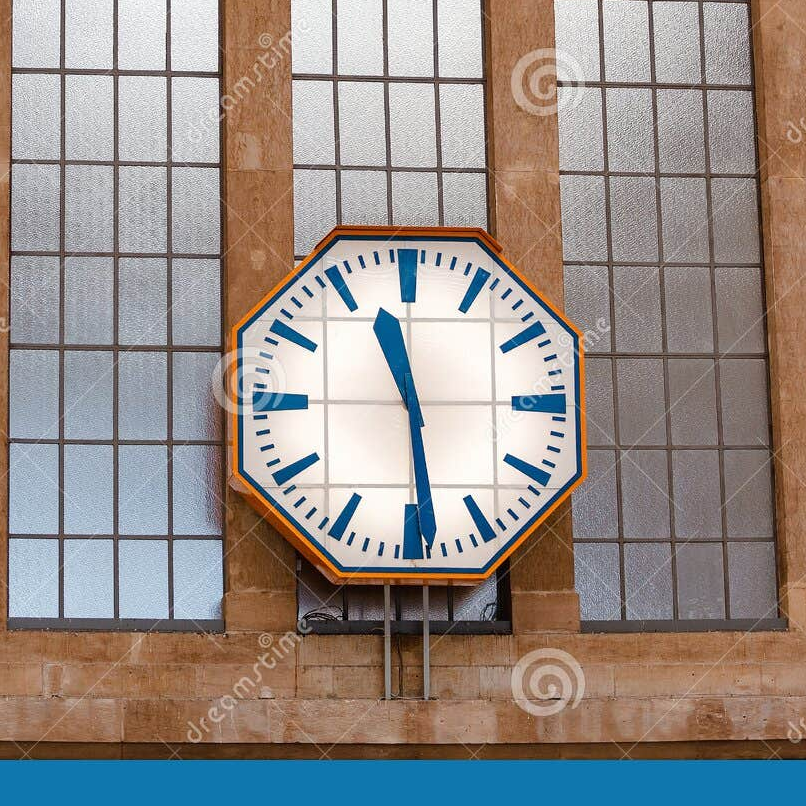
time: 11:28
